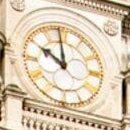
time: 9:58
